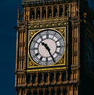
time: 10:25
